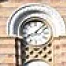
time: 8:07
